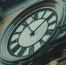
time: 11:08
